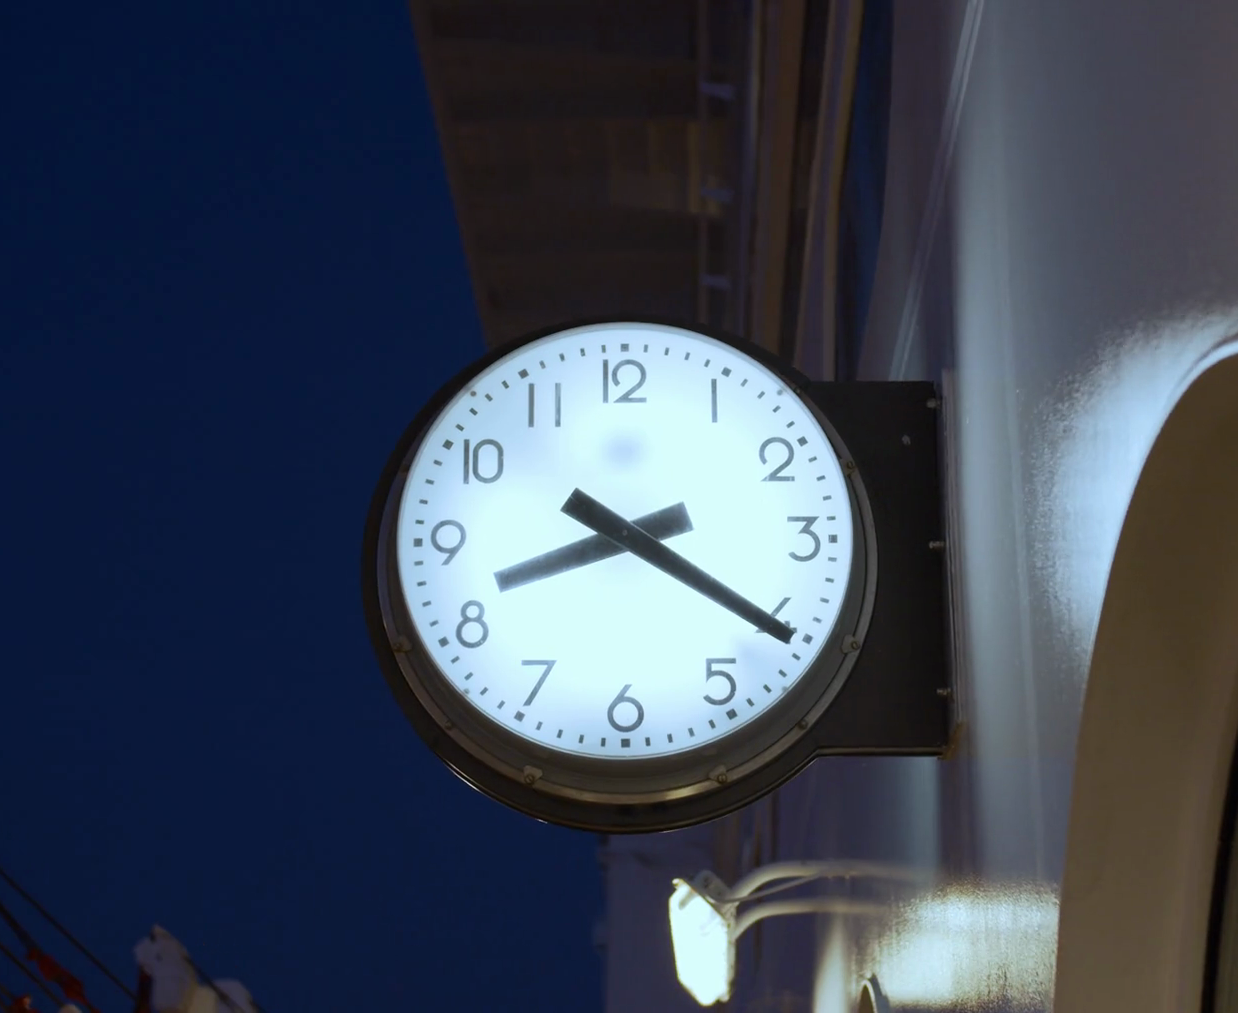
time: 8:20
